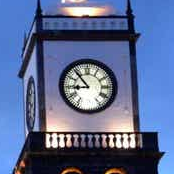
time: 8:53
